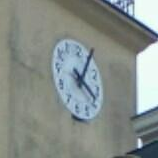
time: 4:04
